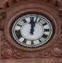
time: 12:02
